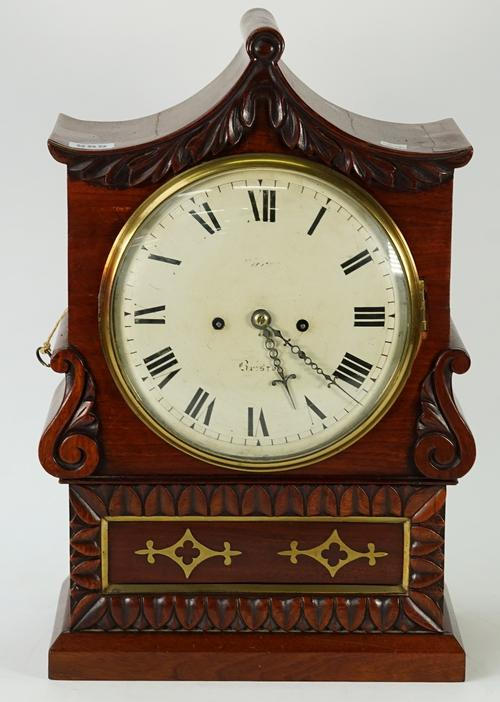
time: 4:26
